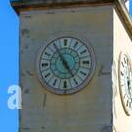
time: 4:54
